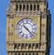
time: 10:22
